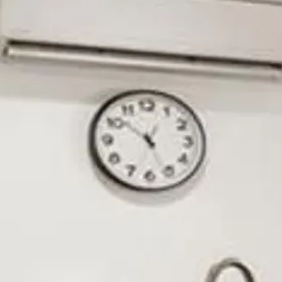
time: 12:51
